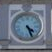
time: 4:26
